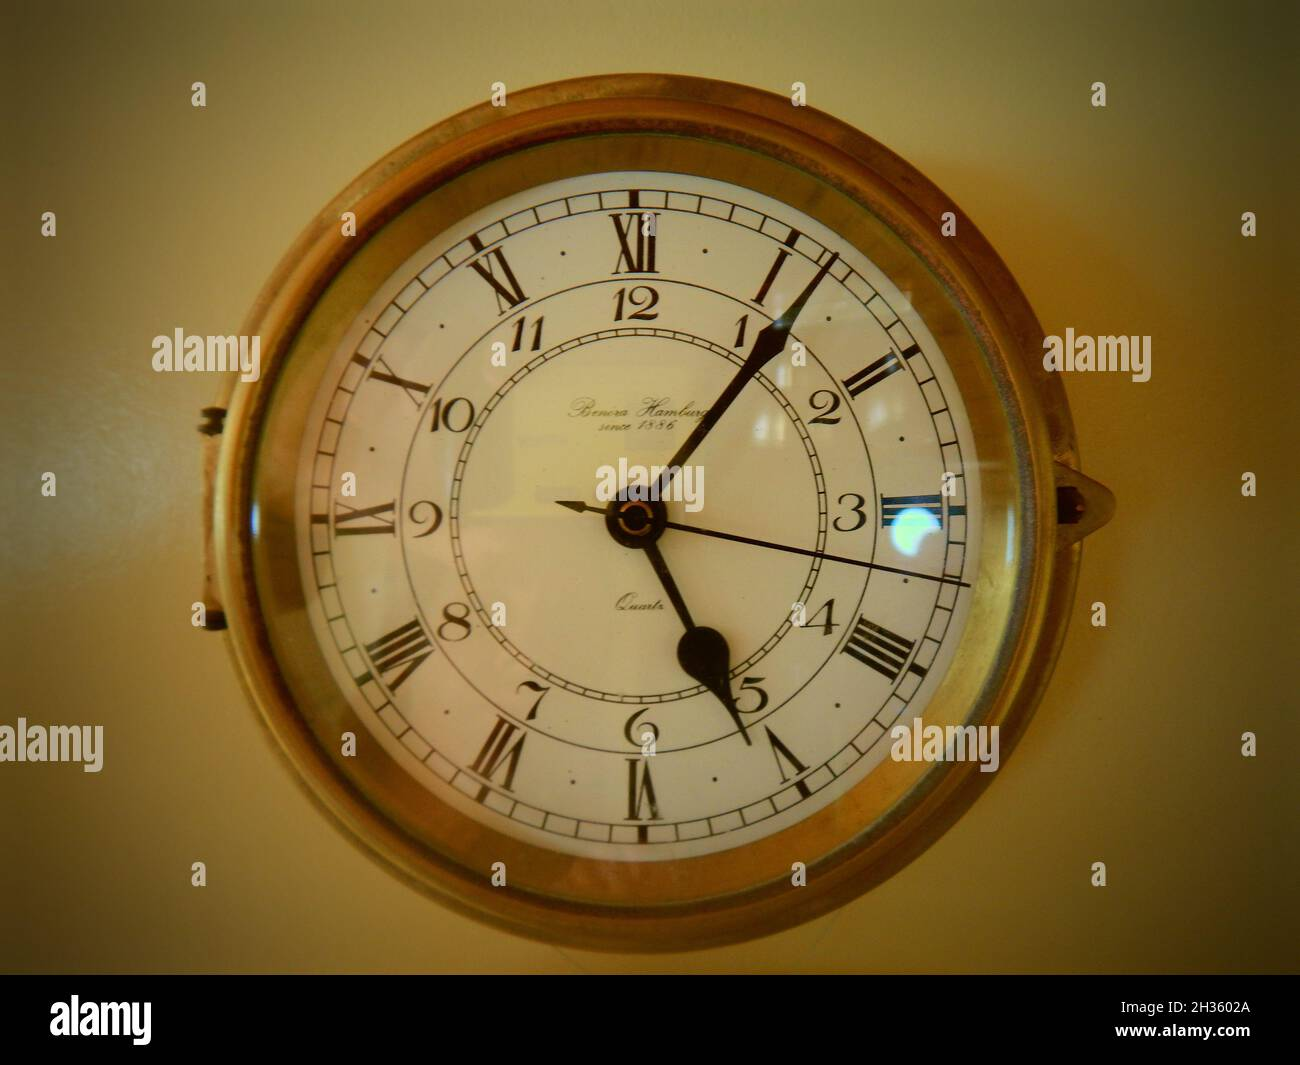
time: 5:06
